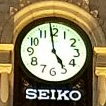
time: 4:58
